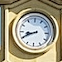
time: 8:40
